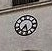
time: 7:28
